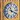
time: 11:19
